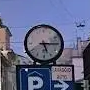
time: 5:14
